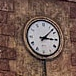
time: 3:07
